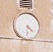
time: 4:31
